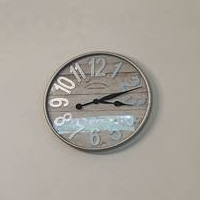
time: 3:11
